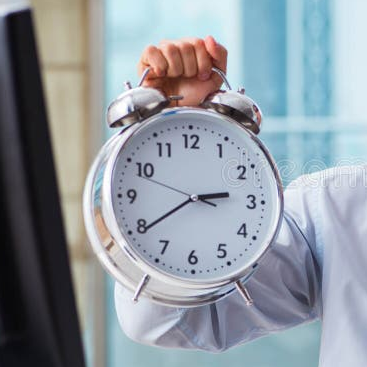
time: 2:39
